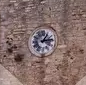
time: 1:13
